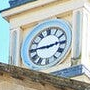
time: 2:45
